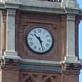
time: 10:26
